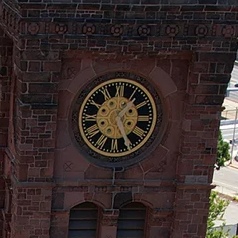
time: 1:25
